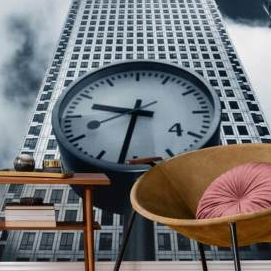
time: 9:32
